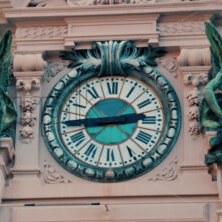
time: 2:44
